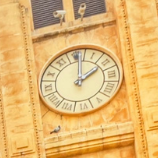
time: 2:01
